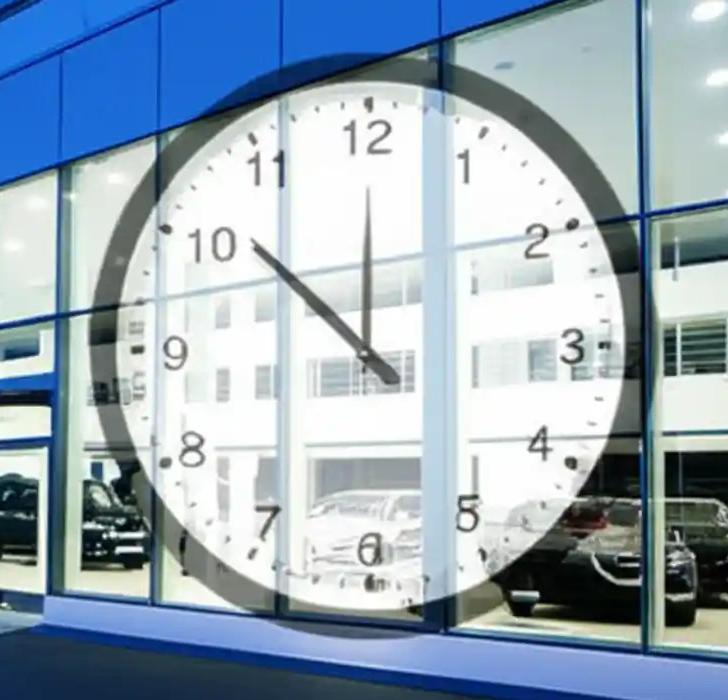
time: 11:51
